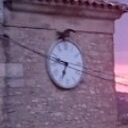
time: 6:47
